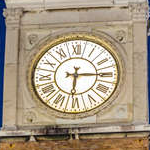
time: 6:14
